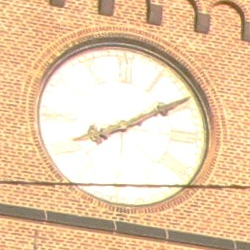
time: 8:09
